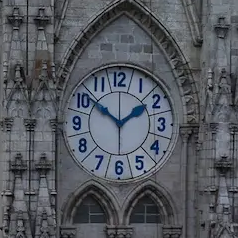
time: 1:51
